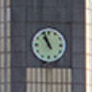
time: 10:56
